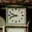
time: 9:42
